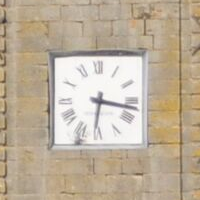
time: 6:17
